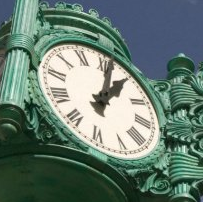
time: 1:01
